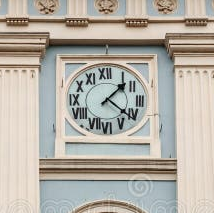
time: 1:21
